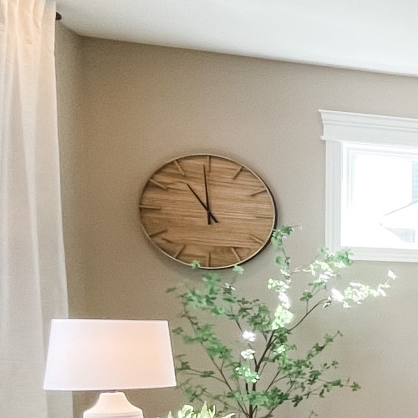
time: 10:59
